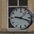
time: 9:18
